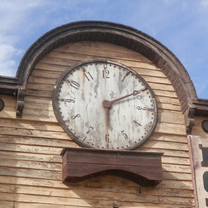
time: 6:10
